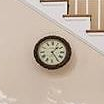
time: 1:24
